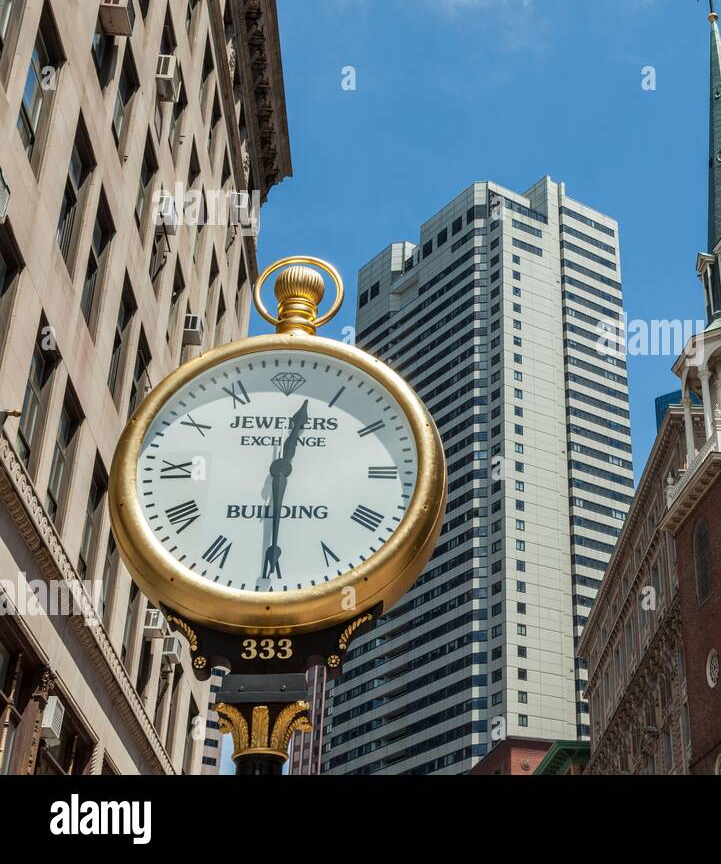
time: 12:30
